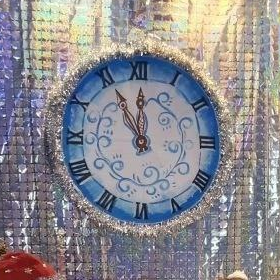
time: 11:55
